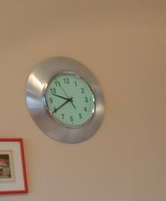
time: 9:39
